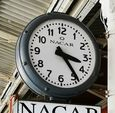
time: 3:23
